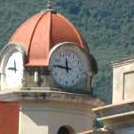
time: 11:46
